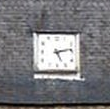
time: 5:13
